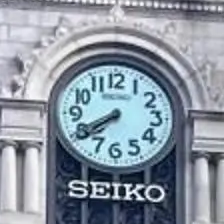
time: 7:39
